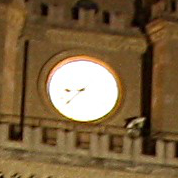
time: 8:38
